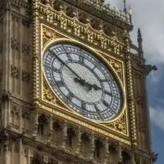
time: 2:50
